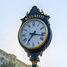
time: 7:16
